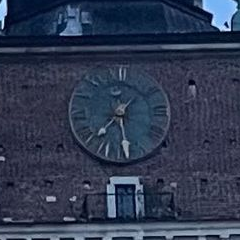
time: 7:29
